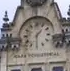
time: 1:30
